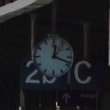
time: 12:18
